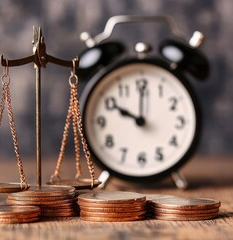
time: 10:00
